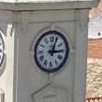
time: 3:03
